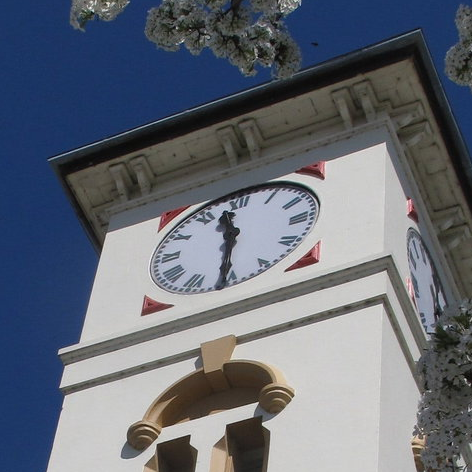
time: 11:30
